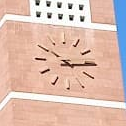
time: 10:14
